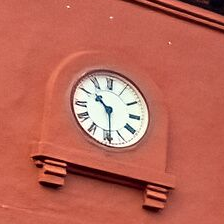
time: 10:29
